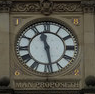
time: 11:28
